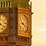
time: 9:22
